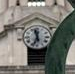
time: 11:33
